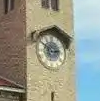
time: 2:50
